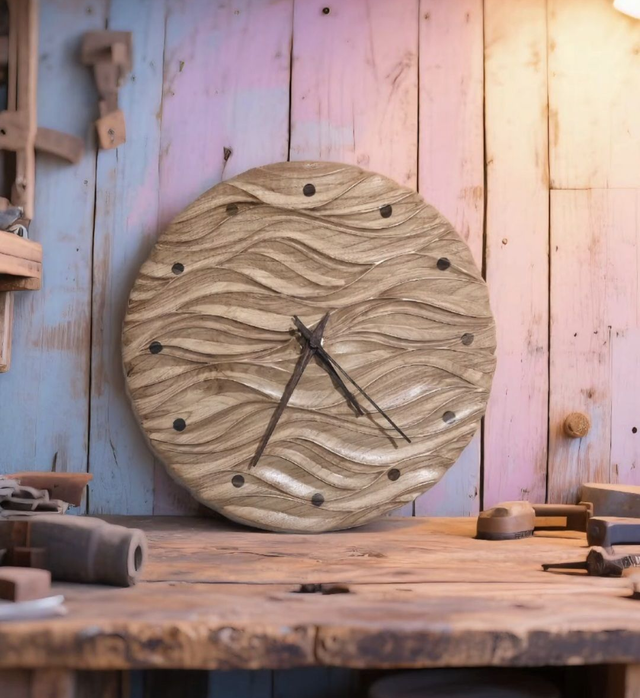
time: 4:34
